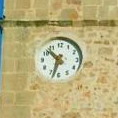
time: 10:32
